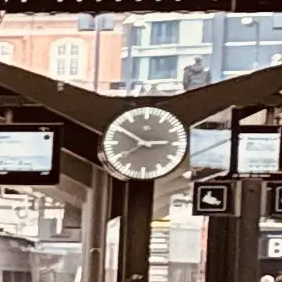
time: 2:50
